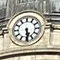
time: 5:29
